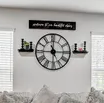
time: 11:45
